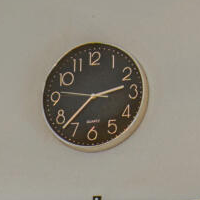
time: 2:37
